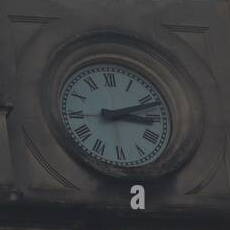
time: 3:11
